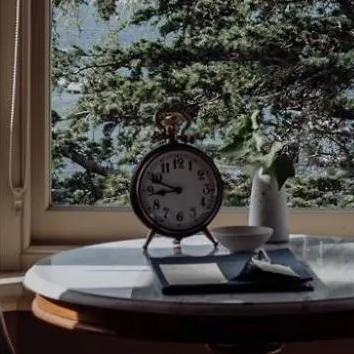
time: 8:48
